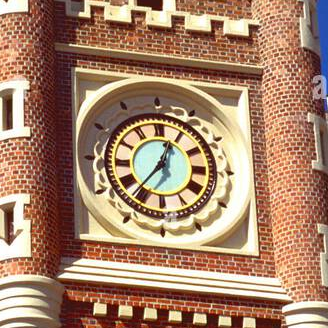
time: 12:36
